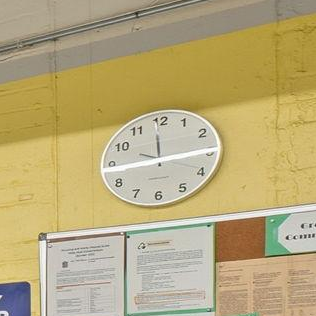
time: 11:44
